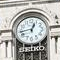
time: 12:43
